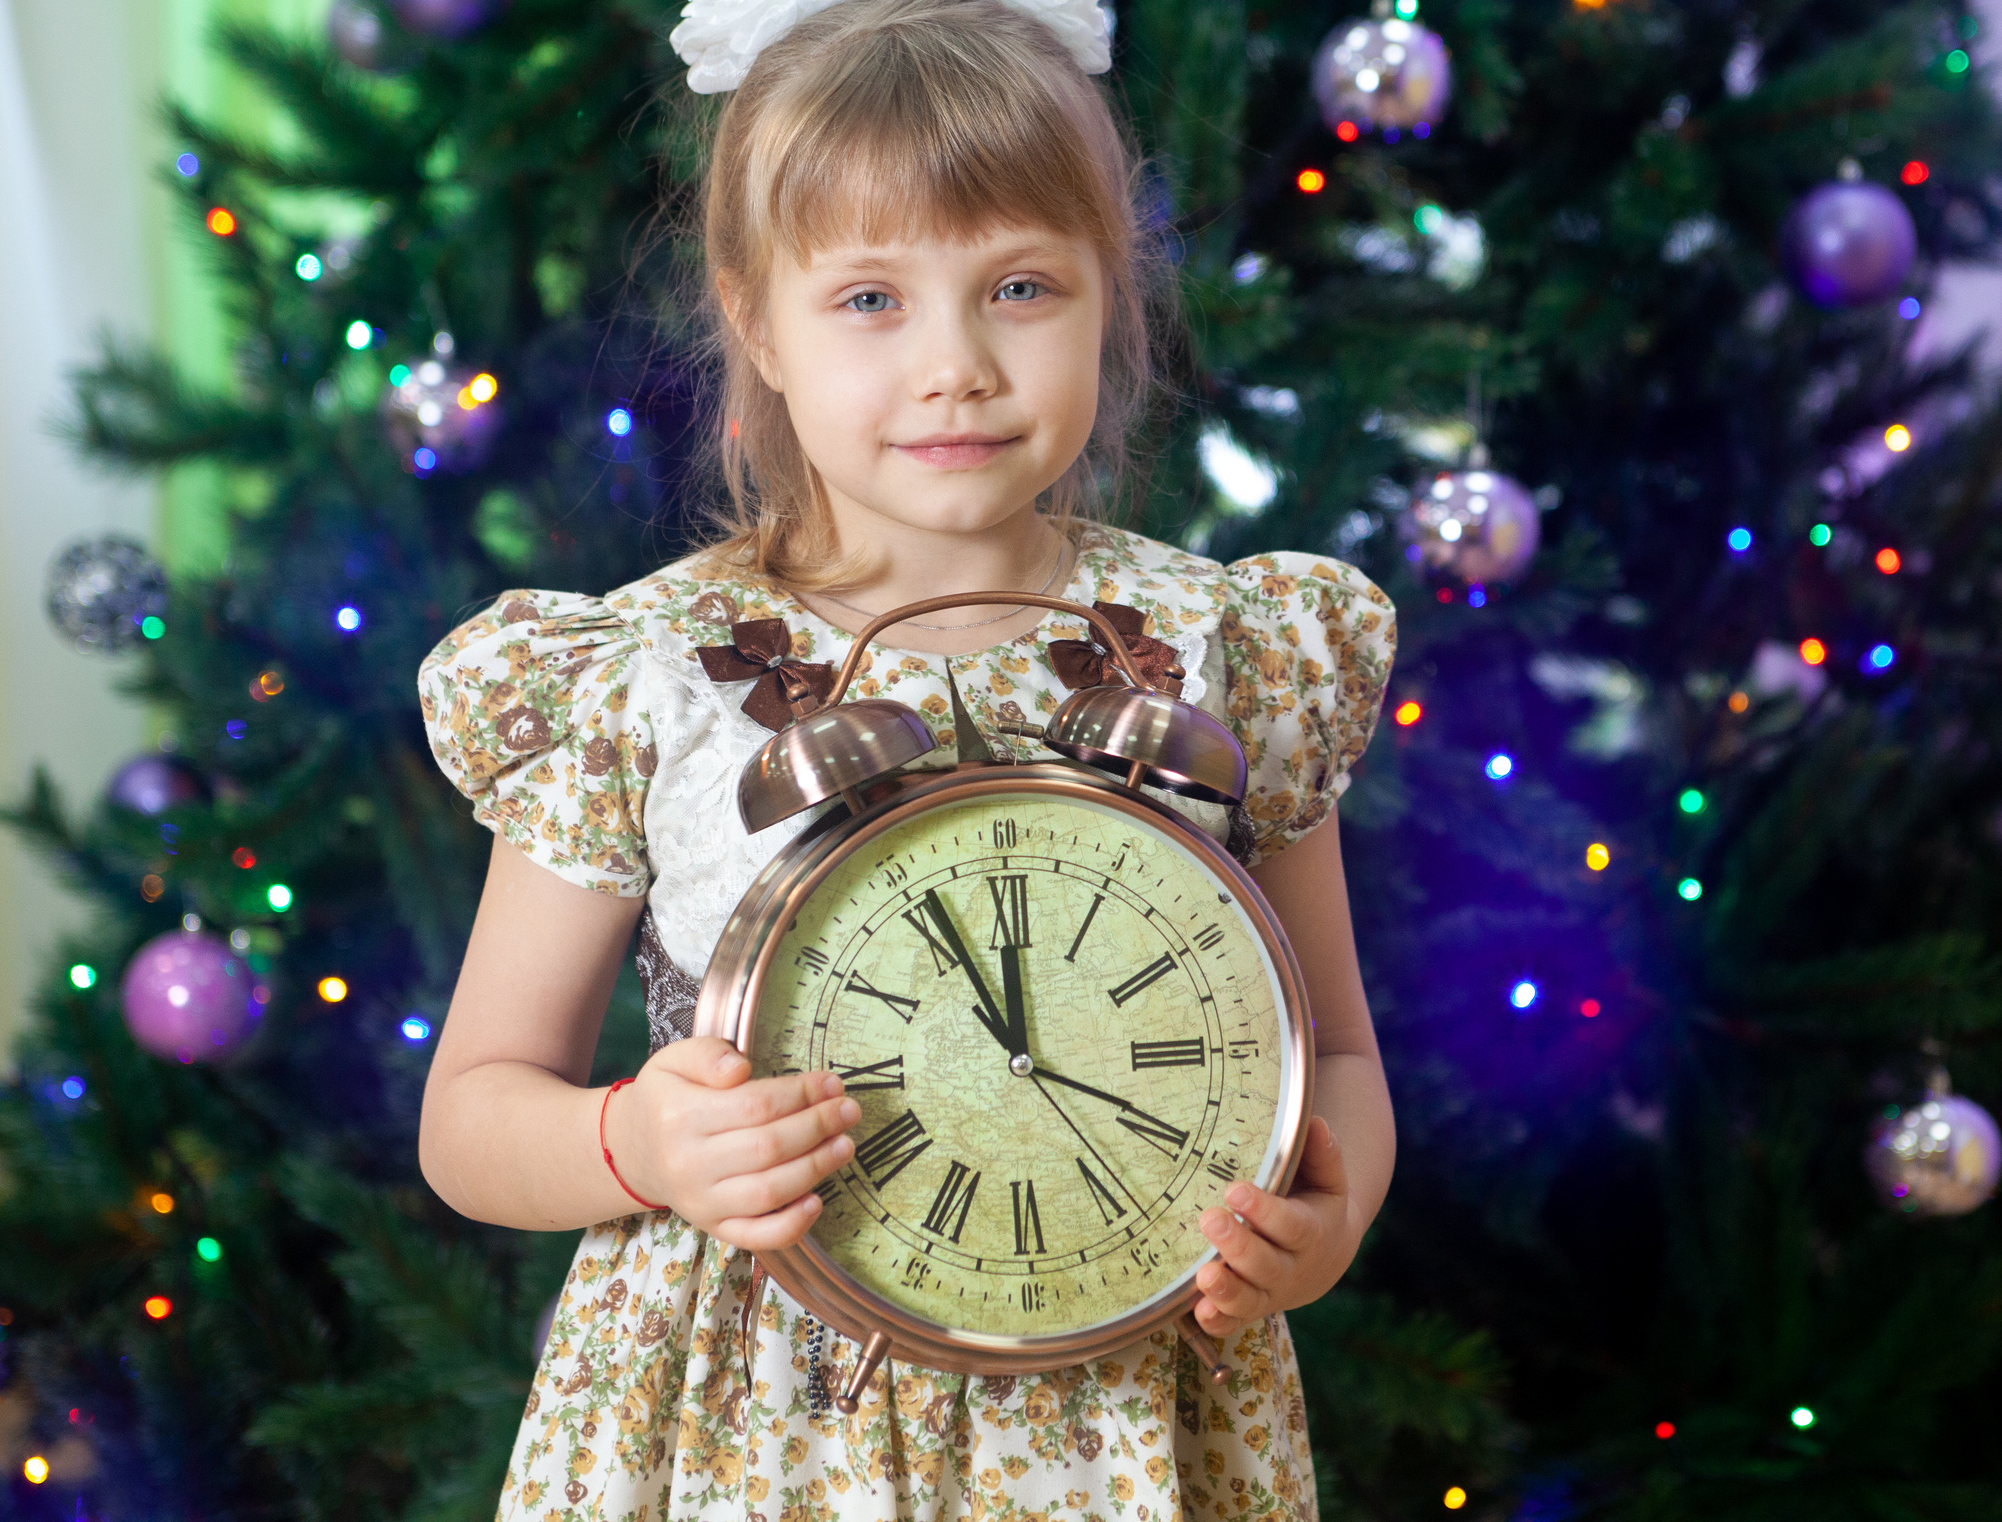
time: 11:55
